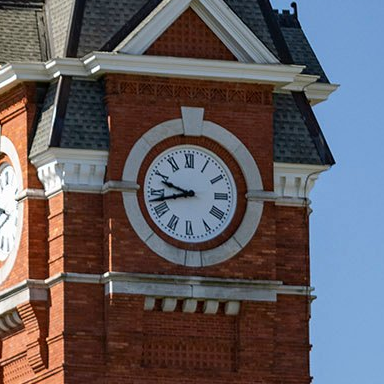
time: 9:42
